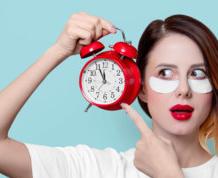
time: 11:55
